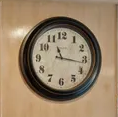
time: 11:16
